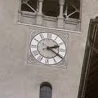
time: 2:20
